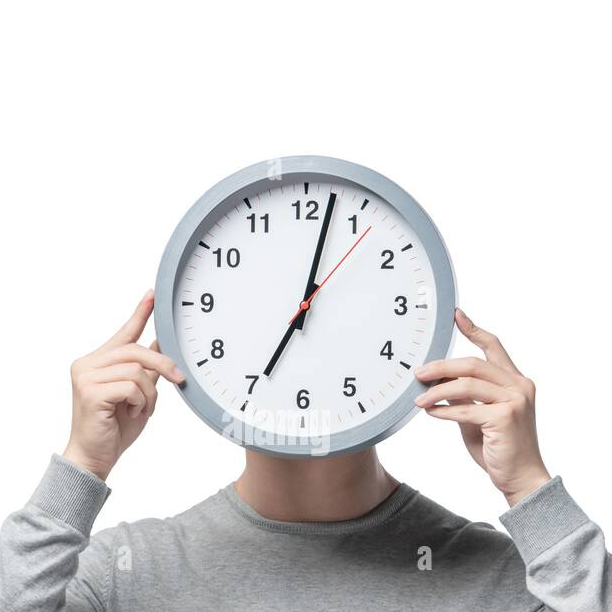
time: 7:02
